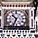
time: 10:34
